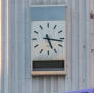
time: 5:16
